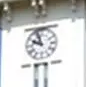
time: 9:57
